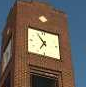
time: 6:54
